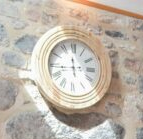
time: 11:43
